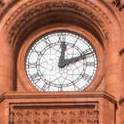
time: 12:11
